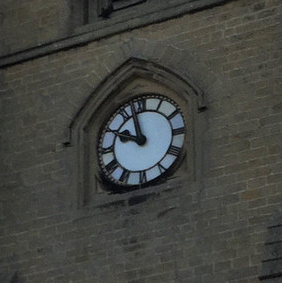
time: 9:57
